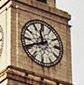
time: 11:40
